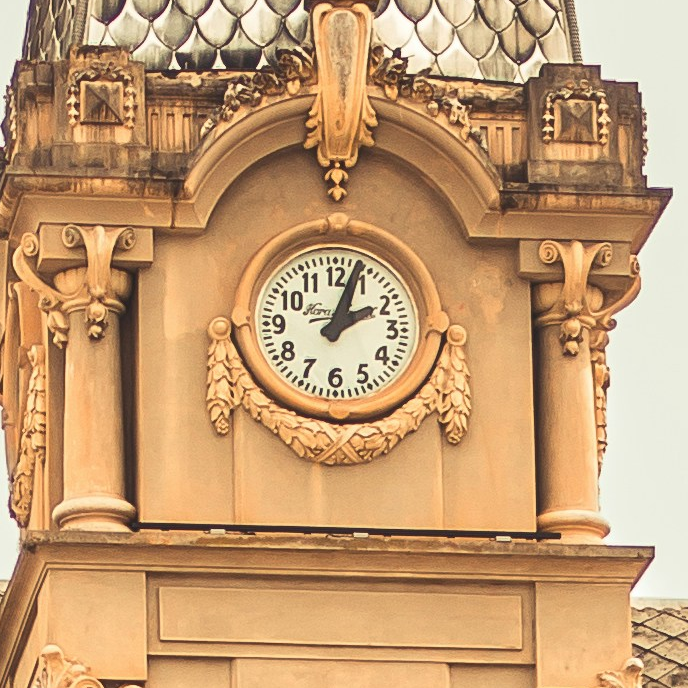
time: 2:03
